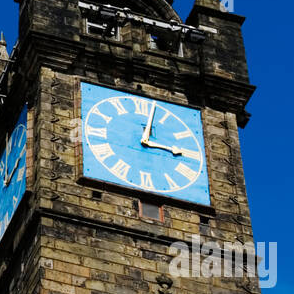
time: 3:02
